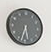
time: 5:33
